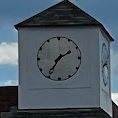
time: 1:35
